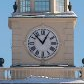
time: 12:52
